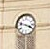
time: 3:47
